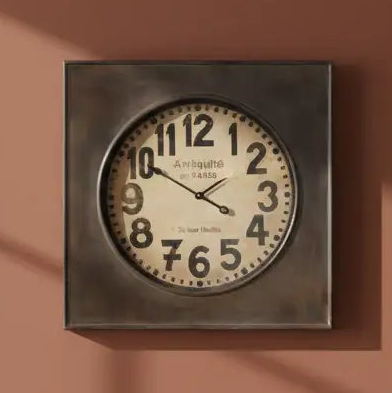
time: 1:50
